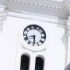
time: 5:42
